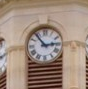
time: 2:53
